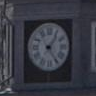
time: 1:24
